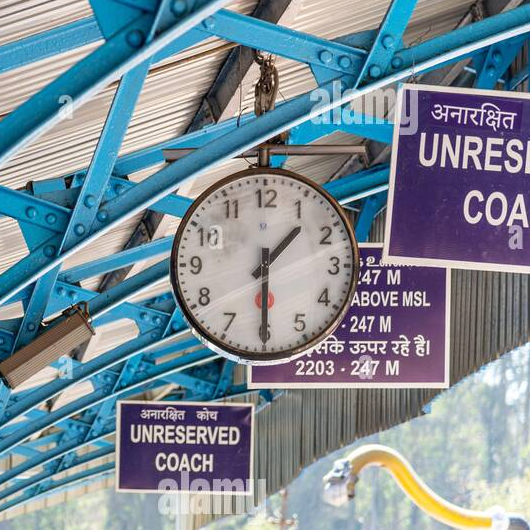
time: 1:29
